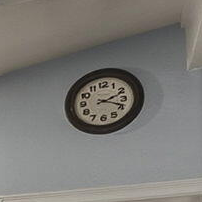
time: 2:18
